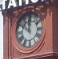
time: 11:51
